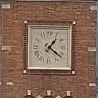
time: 1:21
